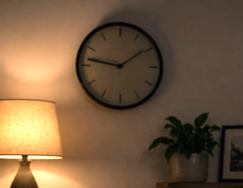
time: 1:46
